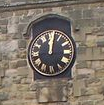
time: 12:01
